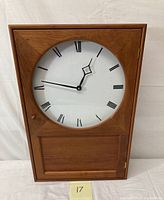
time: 12:46
